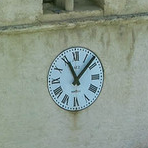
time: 11:07
